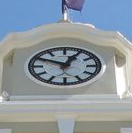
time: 12:49
